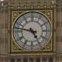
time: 4:47
